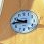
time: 9:44
